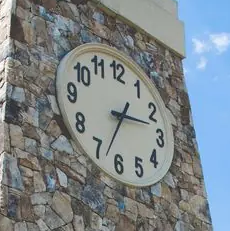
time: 2:33
